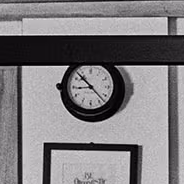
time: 8:52
